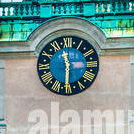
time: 11:30
